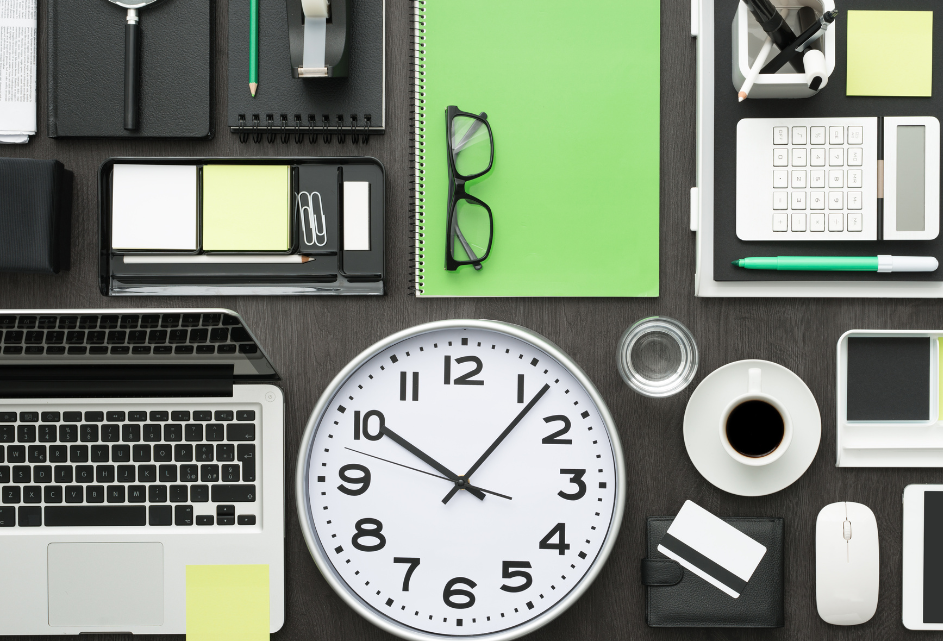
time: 10:06
